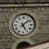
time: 5:08
